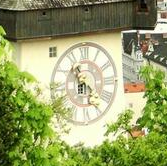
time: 11:21
